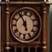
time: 11:55
